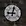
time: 9:01
